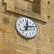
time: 12:12
